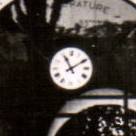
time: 11:09
